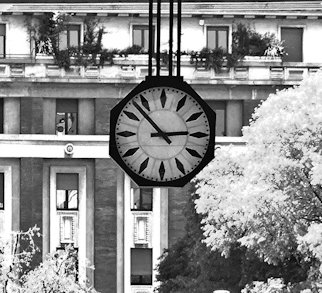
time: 2:52
